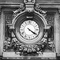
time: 4:20
